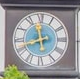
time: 11:42
